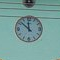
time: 11:52
